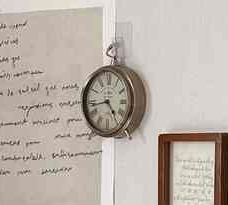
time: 4:42
